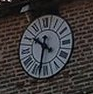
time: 10:32
